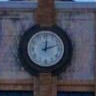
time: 12:12
